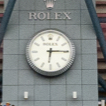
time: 6:15
